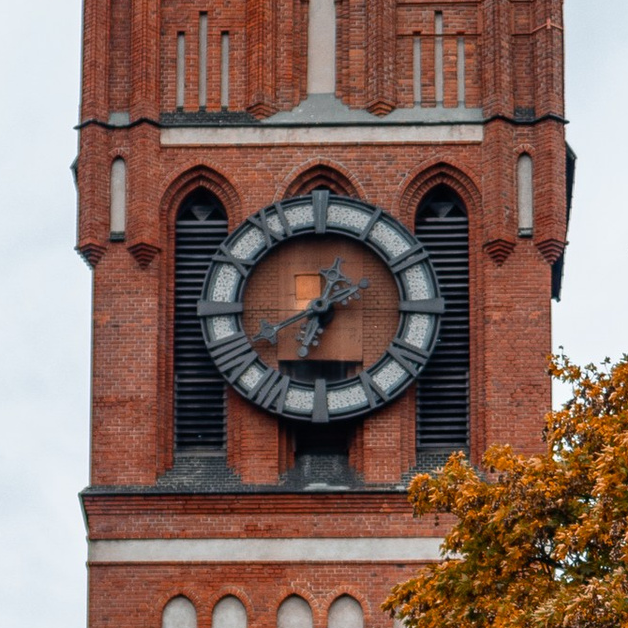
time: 6:40
